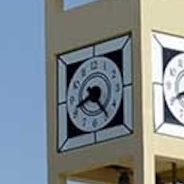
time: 8:23
